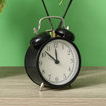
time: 11:52
